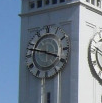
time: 3:47
